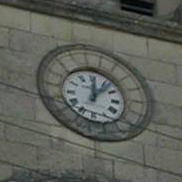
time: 12:07
